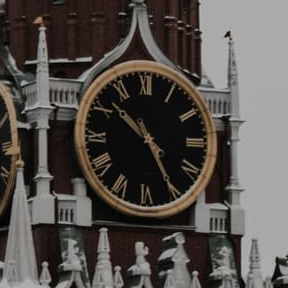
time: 10:25
